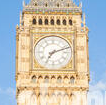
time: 7:11
